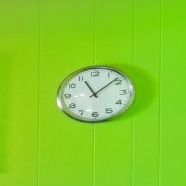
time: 11:08
